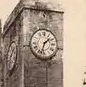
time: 1:32
